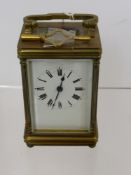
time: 12:34
